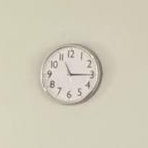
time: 11:14
